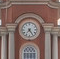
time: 7:24
